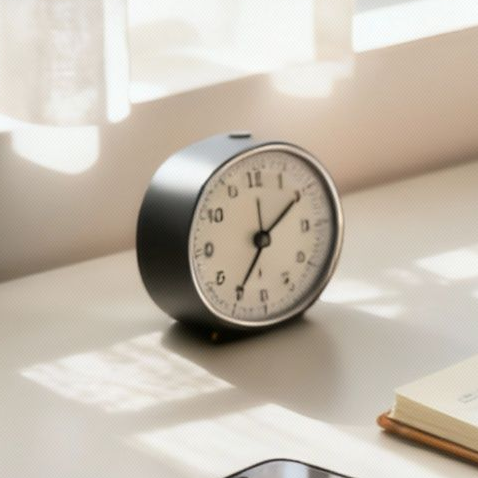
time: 7:09
